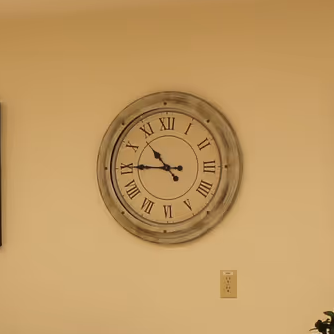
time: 10:45
